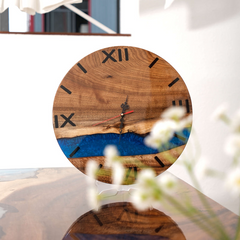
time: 6:14
